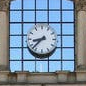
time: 8:37
